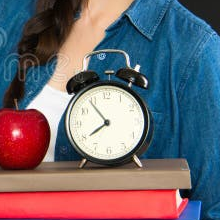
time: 7:53
